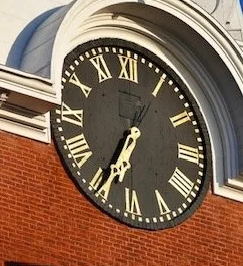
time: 6:34
